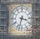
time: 3:32
